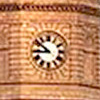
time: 8:51
